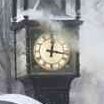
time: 12:16
